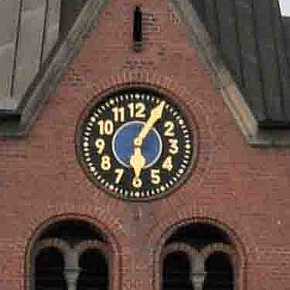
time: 6:05
